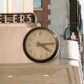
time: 4:14
